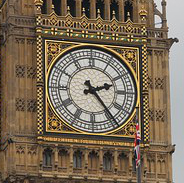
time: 2:23
